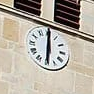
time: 6:00
